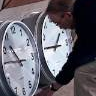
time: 10:45
